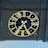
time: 7:25
